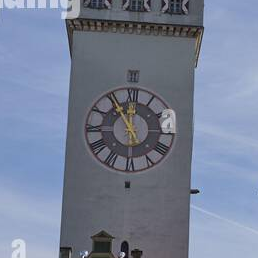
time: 11:54
